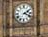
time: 2:18
